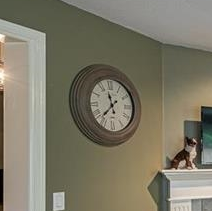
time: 11:37
